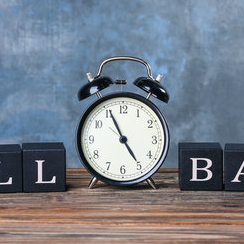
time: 4:55
